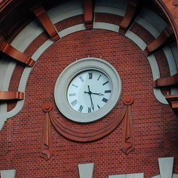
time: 3:28
